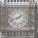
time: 1:42
